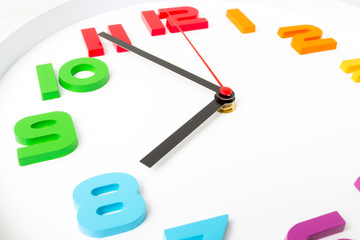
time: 7:54
